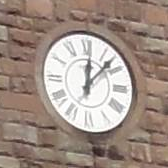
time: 12:07
